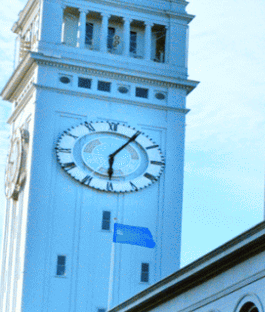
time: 6:06
